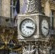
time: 3:17
